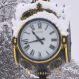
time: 10:42
